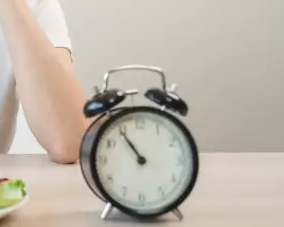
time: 10:54
